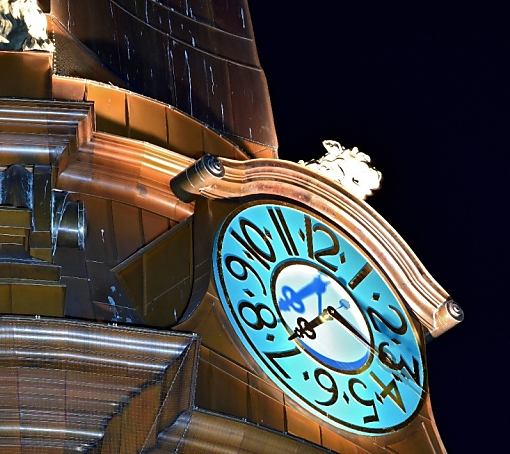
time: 7:20
